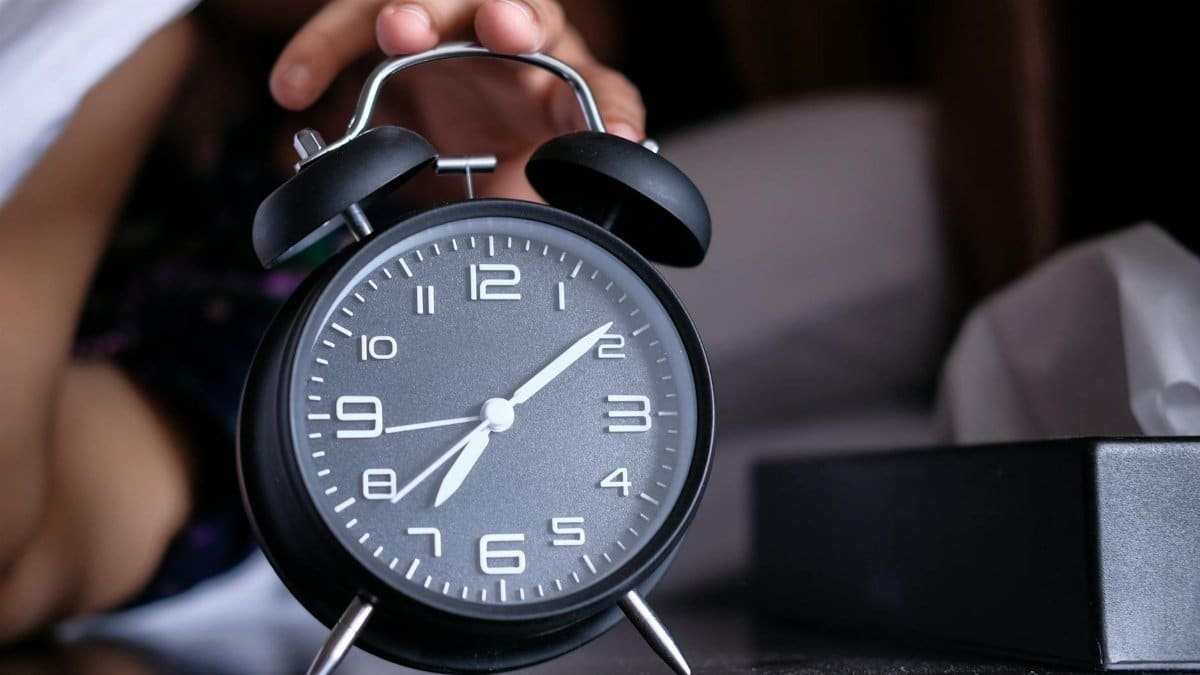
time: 7:08
